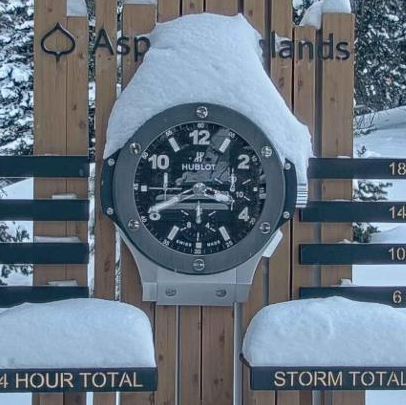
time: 3:40
